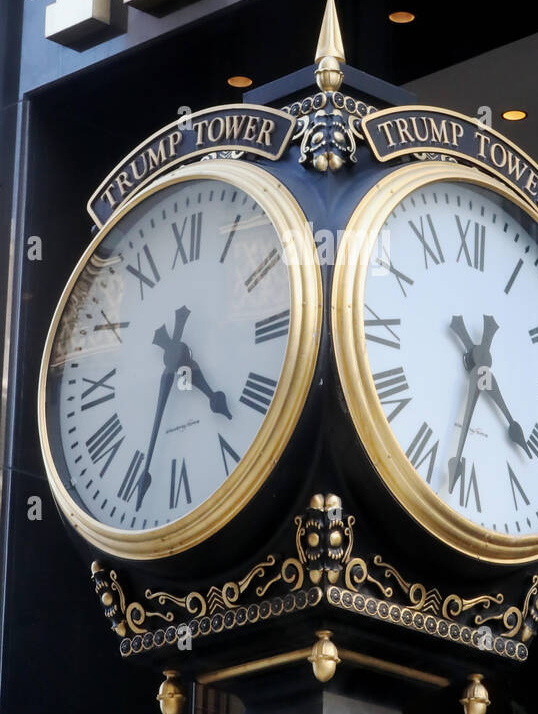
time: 4:33
